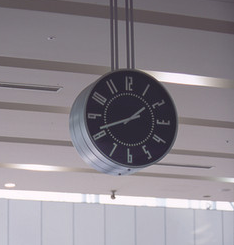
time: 1:41
